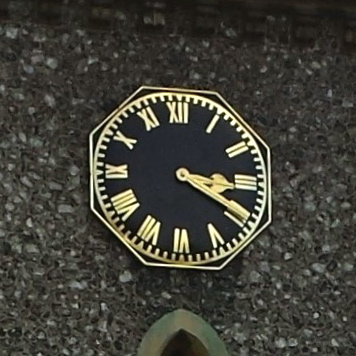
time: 3:19
